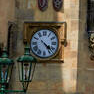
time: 4:22
